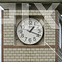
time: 1:18
